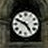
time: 4:49
